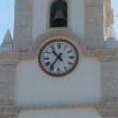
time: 10:36
